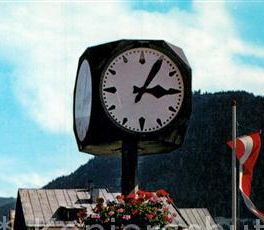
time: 3:04
